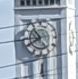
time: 10:40
